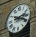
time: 2:18
